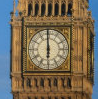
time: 5:59
